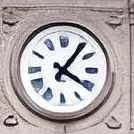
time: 4:06
